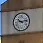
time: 10:13
